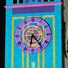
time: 6:23
